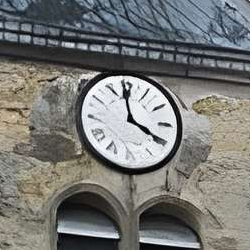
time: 3:58
